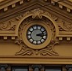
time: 3:12
